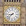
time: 8:38
